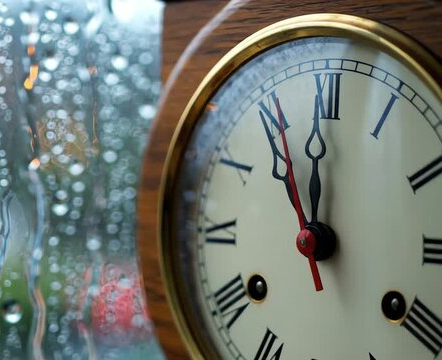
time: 11:54
